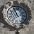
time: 10:55
